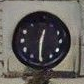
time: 12:30
